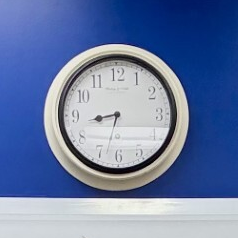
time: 8:33
